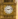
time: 9:12
